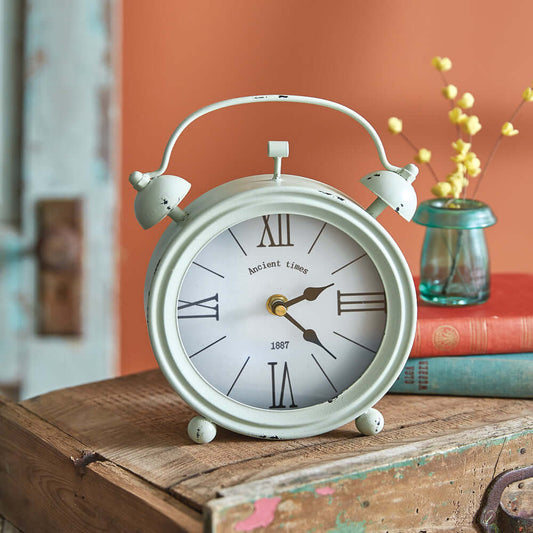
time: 2:22
